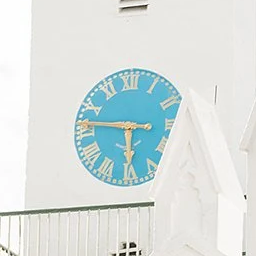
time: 5:46
